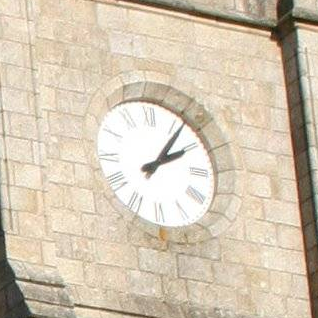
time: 2:06
